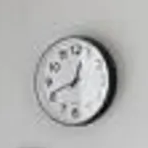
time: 12:41
